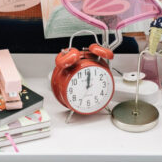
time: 12:01
